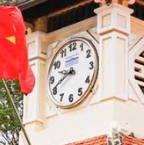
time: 9:41
